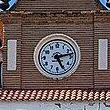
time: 5:13
